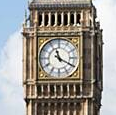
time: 11:19
